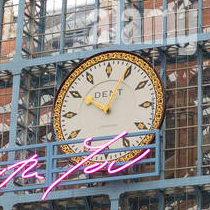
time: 10:04
